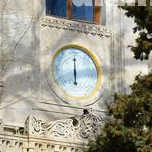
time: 6:00
